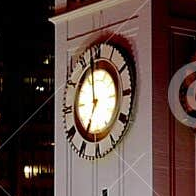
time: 6:58
